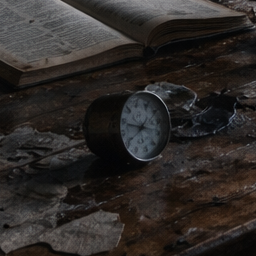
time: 7:45
